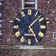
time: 5:07
